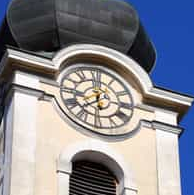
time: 11:37
